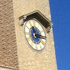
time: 11:14
